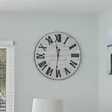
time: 11:31
